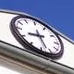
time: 8:27
